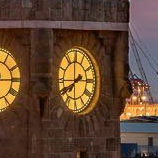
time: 7:59
